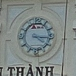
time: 4:16
